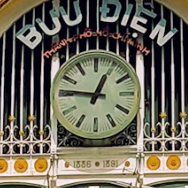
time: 12:46
